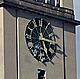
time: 5:14
